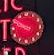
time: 8:49
